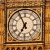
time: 6:55
